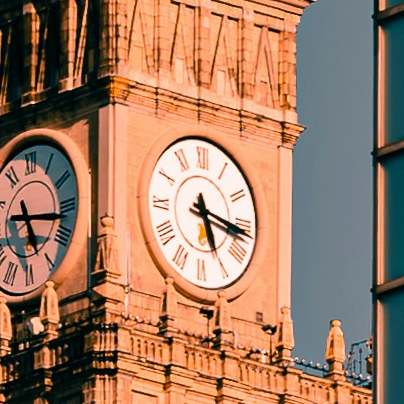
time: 5:16
